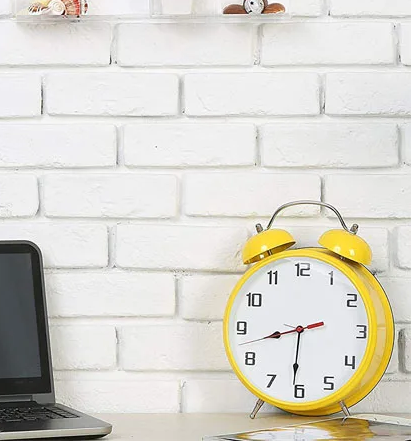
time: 8:30
